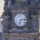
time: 6:13
